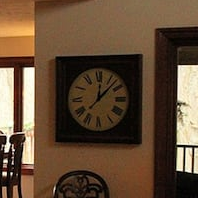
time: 12:07
